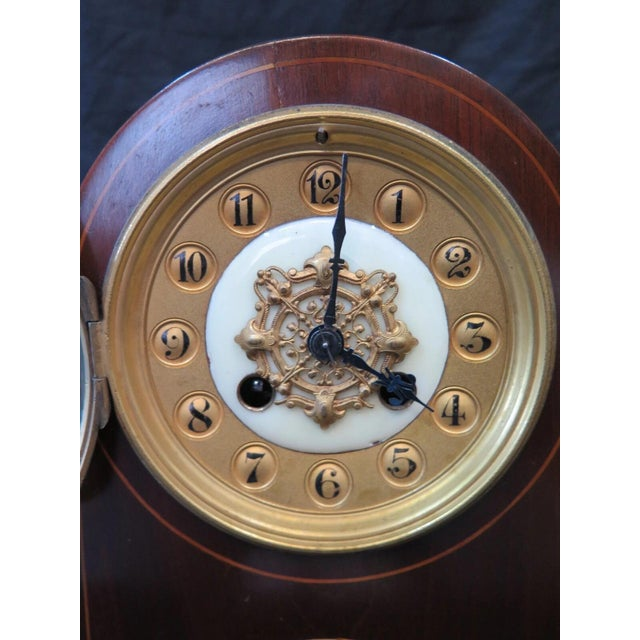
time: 4:01
